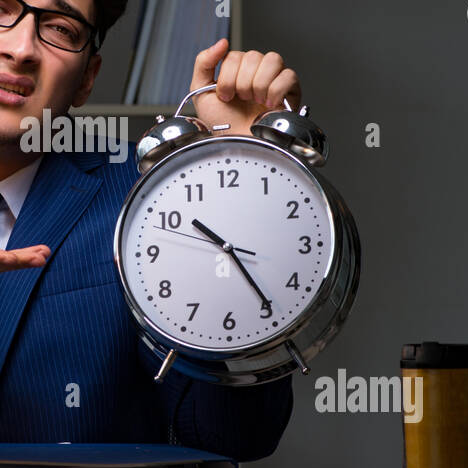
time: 10:24
